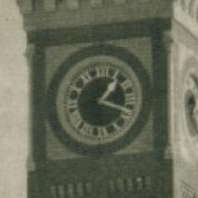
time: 1:18
